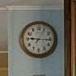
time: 9:15
